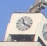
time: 11:19
